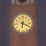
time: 6:19
